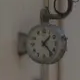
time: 1:23
